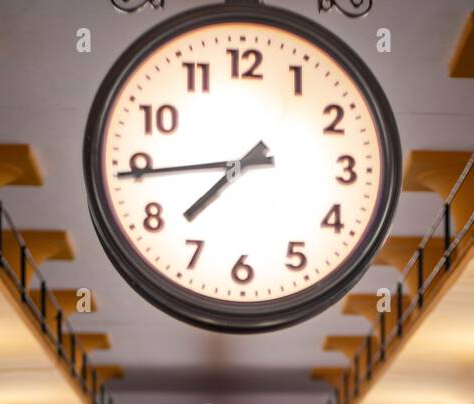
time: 7:44
